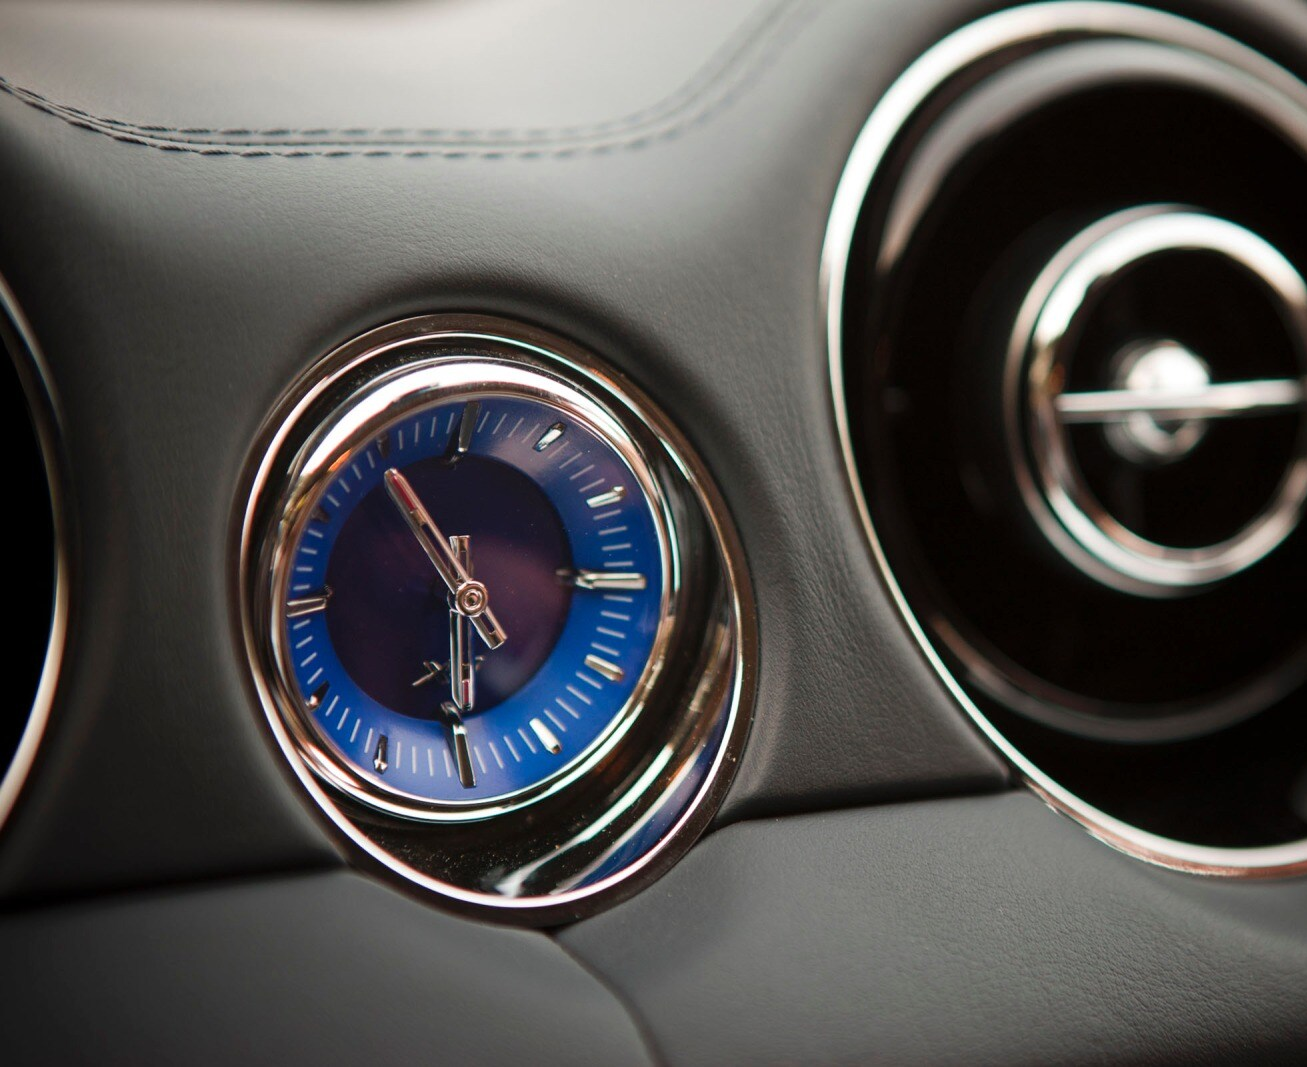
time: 5:54
